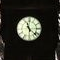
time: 11:22
